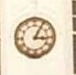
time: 3:05
